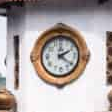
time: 2:20
